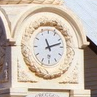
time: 11:12
